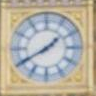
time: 1:40
